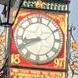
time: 8:40
